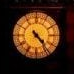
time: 4:23
